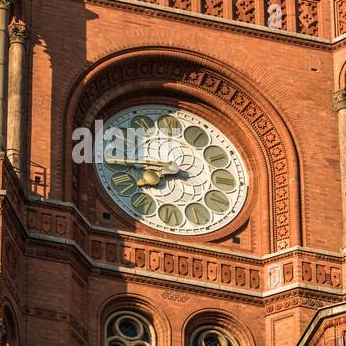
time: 7:44
